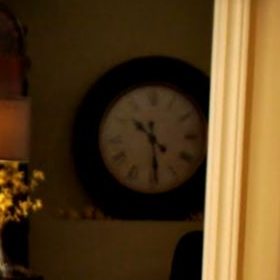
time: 10:29
